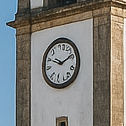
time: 9:08
